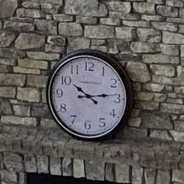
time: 10:13
